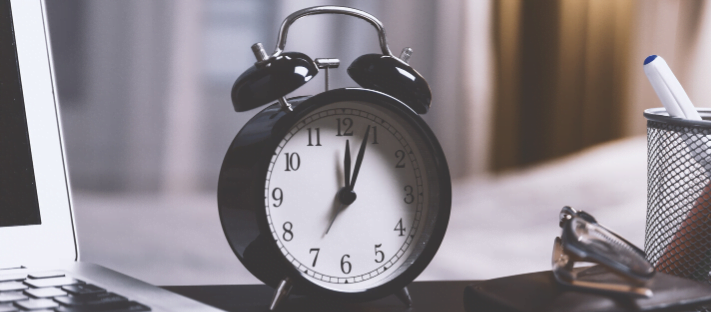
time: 12:03
